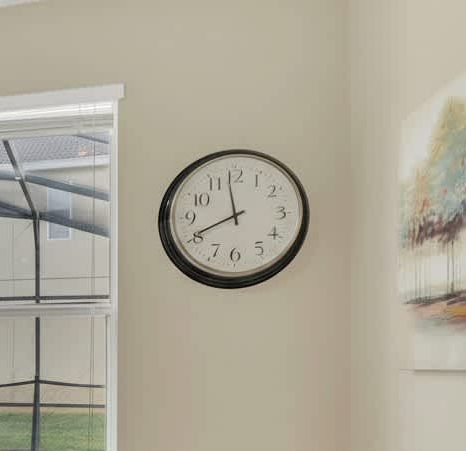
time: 11:40
